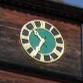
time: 10:35
